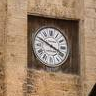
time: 3:49
